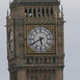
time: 5:40
